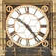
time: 10:23
